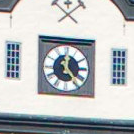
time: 12:23
